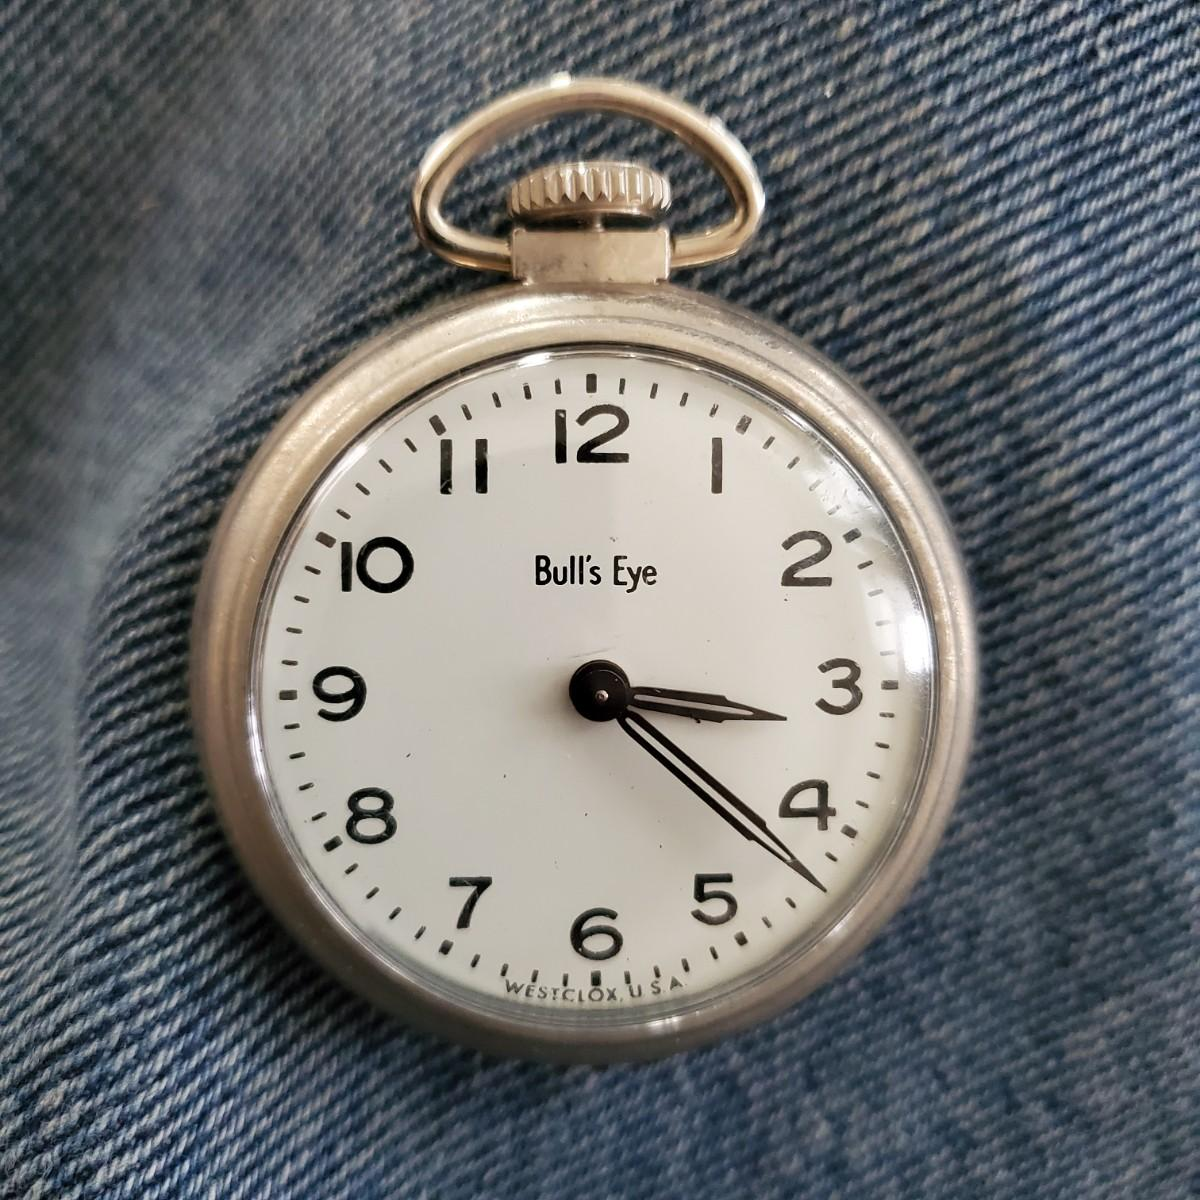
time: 3:21
